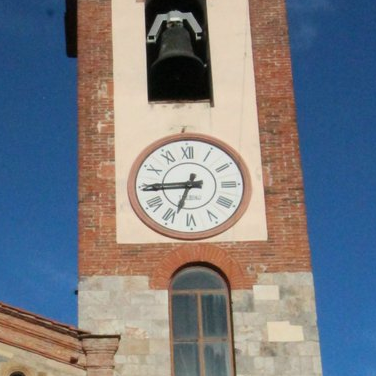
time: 6:44
